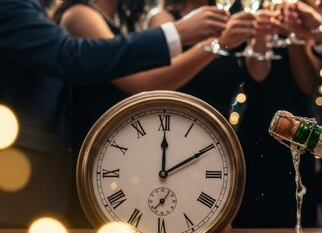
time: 12:09
